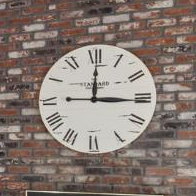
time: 3:00
